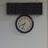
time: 8:33
